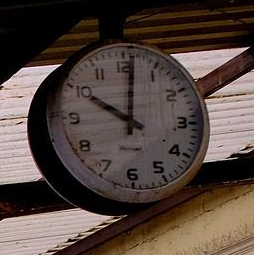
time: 10:00
